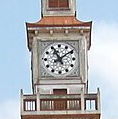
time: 11:09
